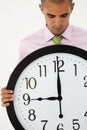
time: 8:59
